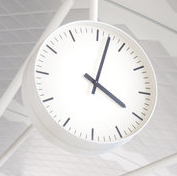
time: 4:02
